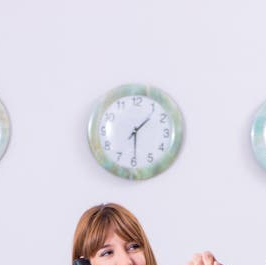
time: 1:29
